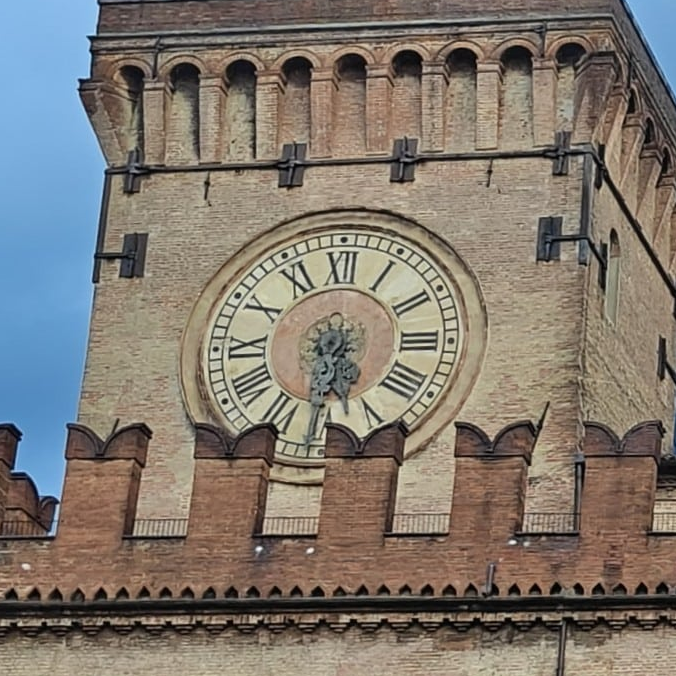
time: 5:31
